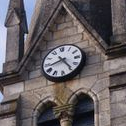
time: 8:24
